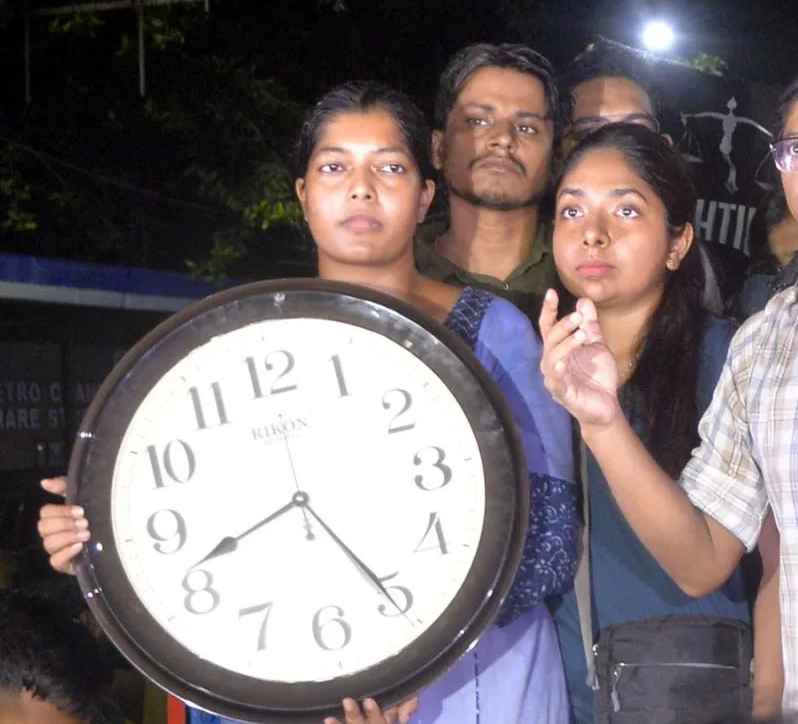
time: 8:25
